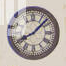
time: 8:07
